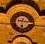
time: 6:15
